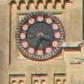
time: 3:34
